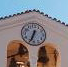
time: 6:33
